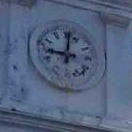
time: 9:01
